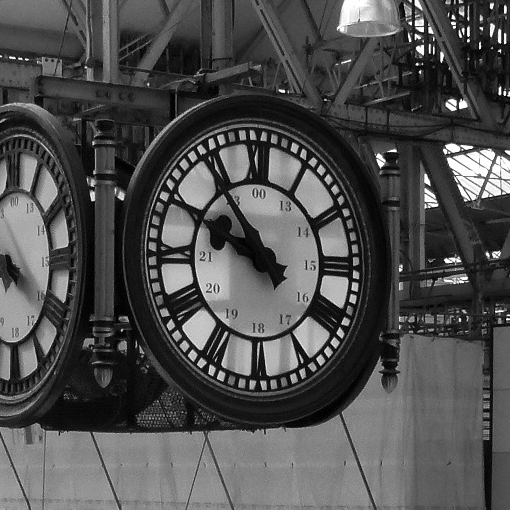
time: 9:53
